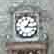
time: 1:16
